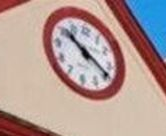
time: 10:19
